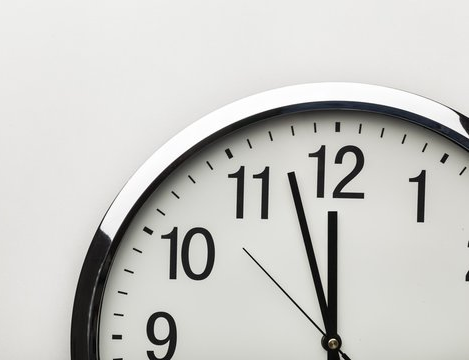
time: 11:57
